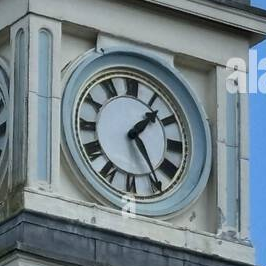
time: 1:24
